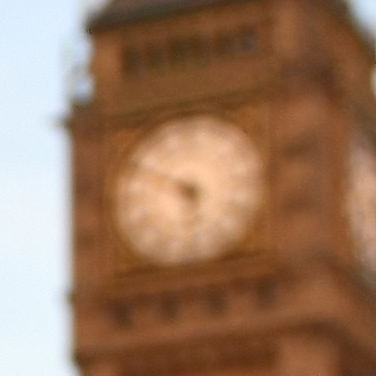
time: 5:49
